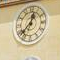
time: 12:37
